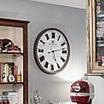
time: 5:12
